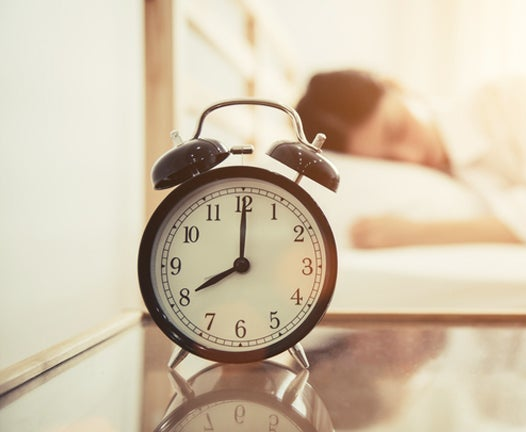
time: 8:00
